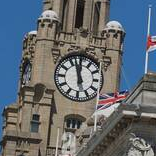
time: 11:57
